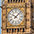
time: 10:07
